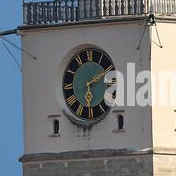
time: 6:10
